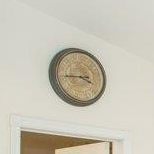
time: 3:44
